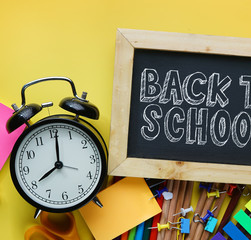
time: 8:01
